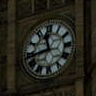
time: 11:42
